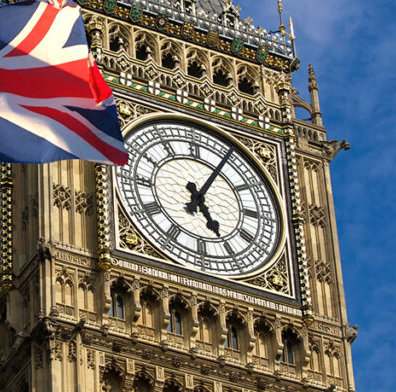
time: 5:05
